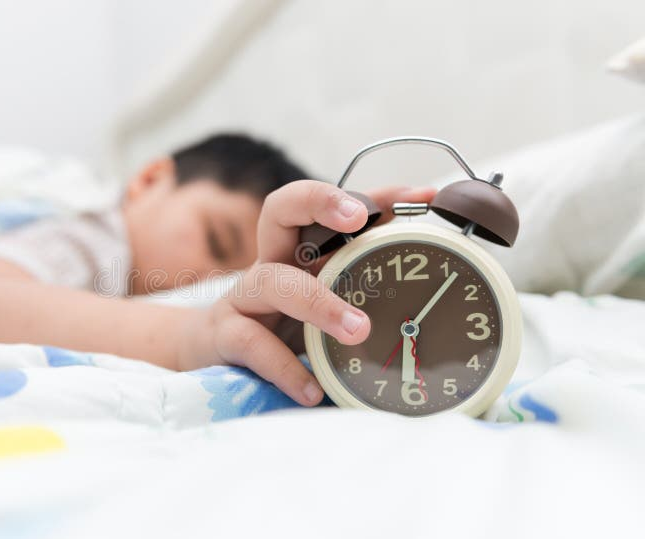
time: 6:06
